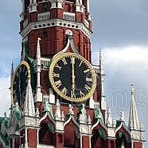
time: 6:00
